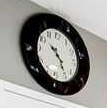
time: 10:24
